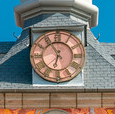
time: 6:54
